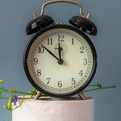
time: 11:51
